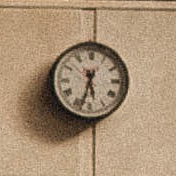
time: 5:32
